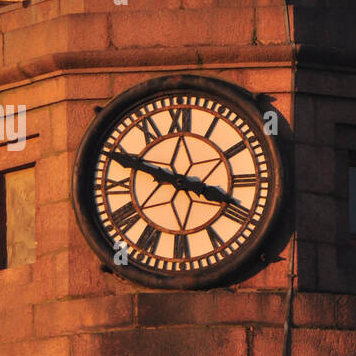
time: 3:48
